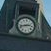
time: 2:42
